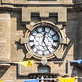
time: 12:24
